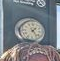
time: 1:23
